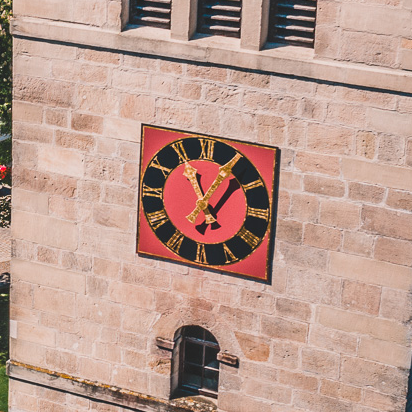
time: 11:06
